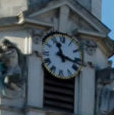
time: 11:17
